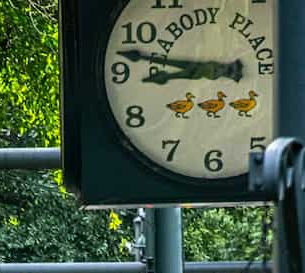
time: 8:47
